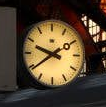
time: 9:39
